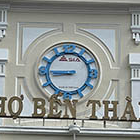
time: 8:45
